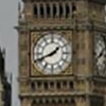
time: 1:41
